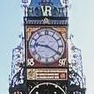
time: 9:20
